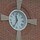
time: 11:34
